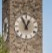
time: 12:55
